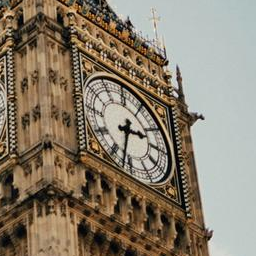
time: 2:32
